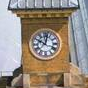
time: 10:02
